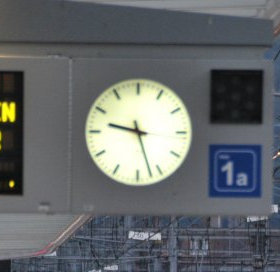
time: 9:27
